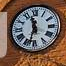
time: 11:32
